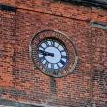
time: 8:46
